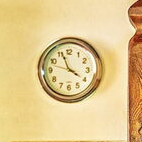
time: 3:56
